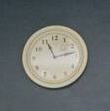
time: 11:13
